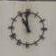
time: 10:58
